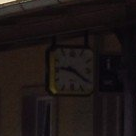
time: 9:20
